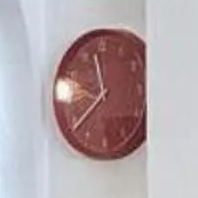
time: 11:38
